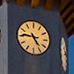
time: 4:45
